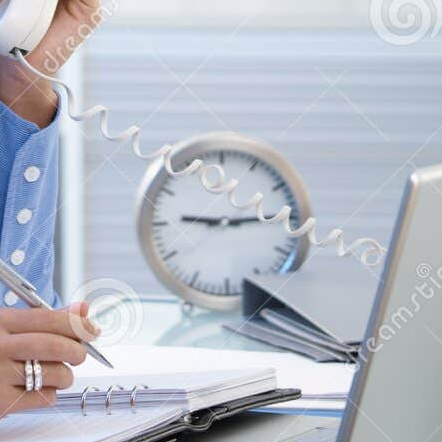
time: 9:14
